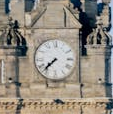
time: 7:37
